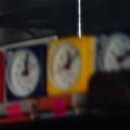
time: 12:07
